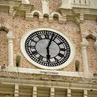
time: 6:03
